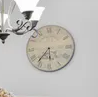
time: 5:36
